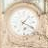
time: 1:18
